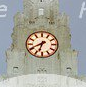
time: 6:40
